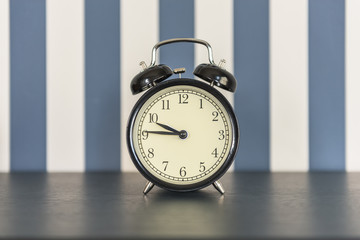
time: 9:45
